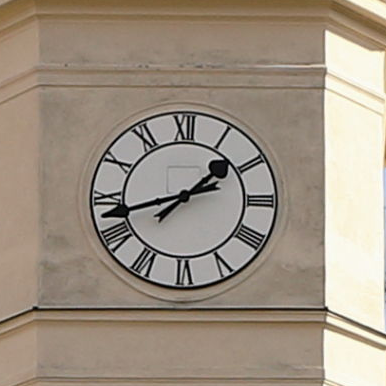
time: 1:42
